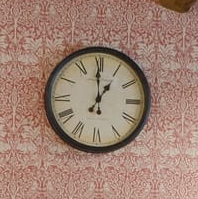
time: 12:59
